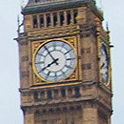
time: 7:54
